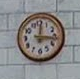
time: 12:16
